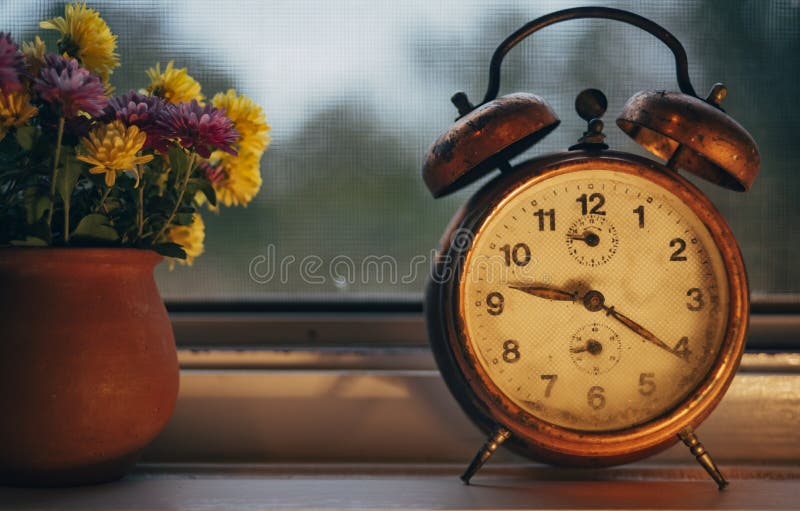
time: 9:20
